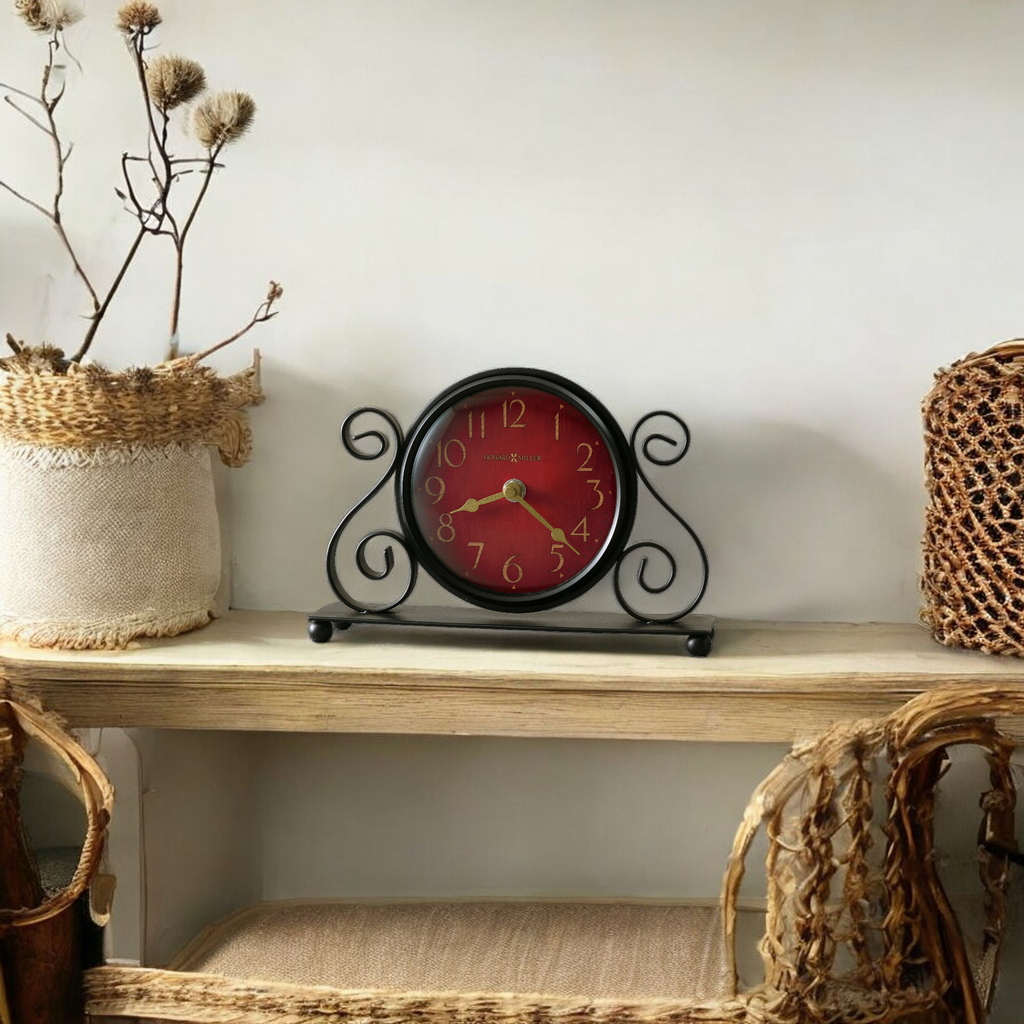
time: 8:22
